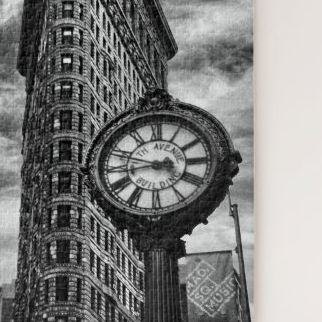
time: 8:47
